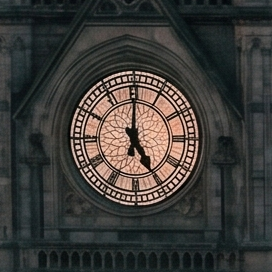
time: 4:59
